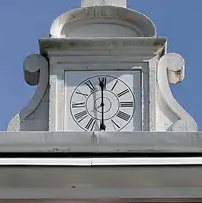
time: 5:59
